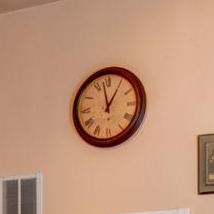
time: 12:58
